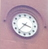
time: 3:36
